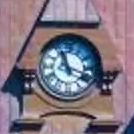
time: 11:17
